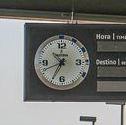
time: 10:35
